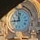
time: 11:44
